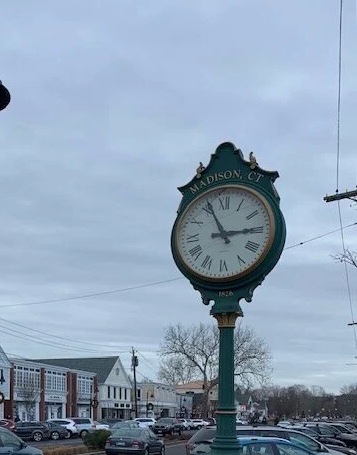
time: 2:55
